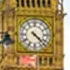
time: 4:22
